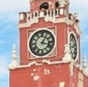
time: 1:17
